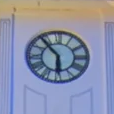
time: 5:53
